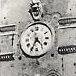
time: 4:34
